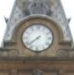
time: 7:38
